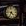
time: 4:35
